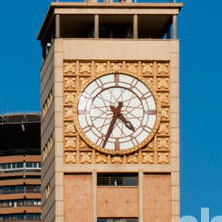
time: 4:33
